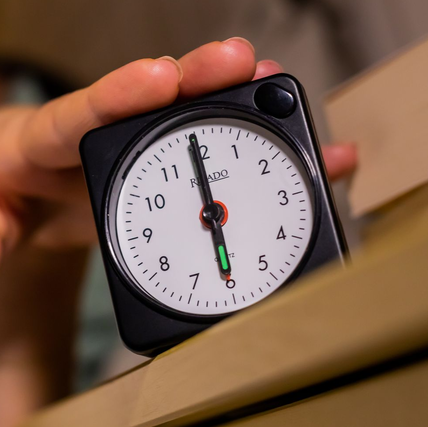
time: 5:59
